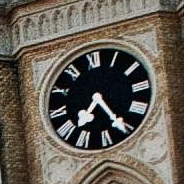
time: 7:25
